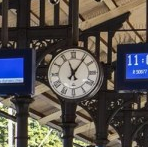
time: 11:06
